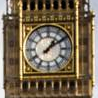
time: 1:09
